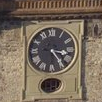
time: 3:23
